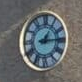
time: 1:14
